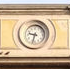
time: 9:33
